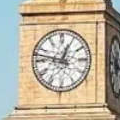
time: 12:47
